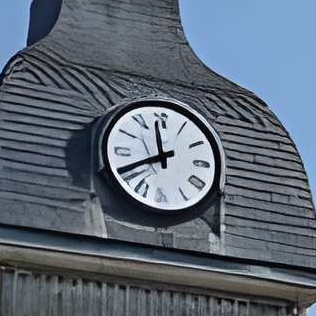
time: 11:40
